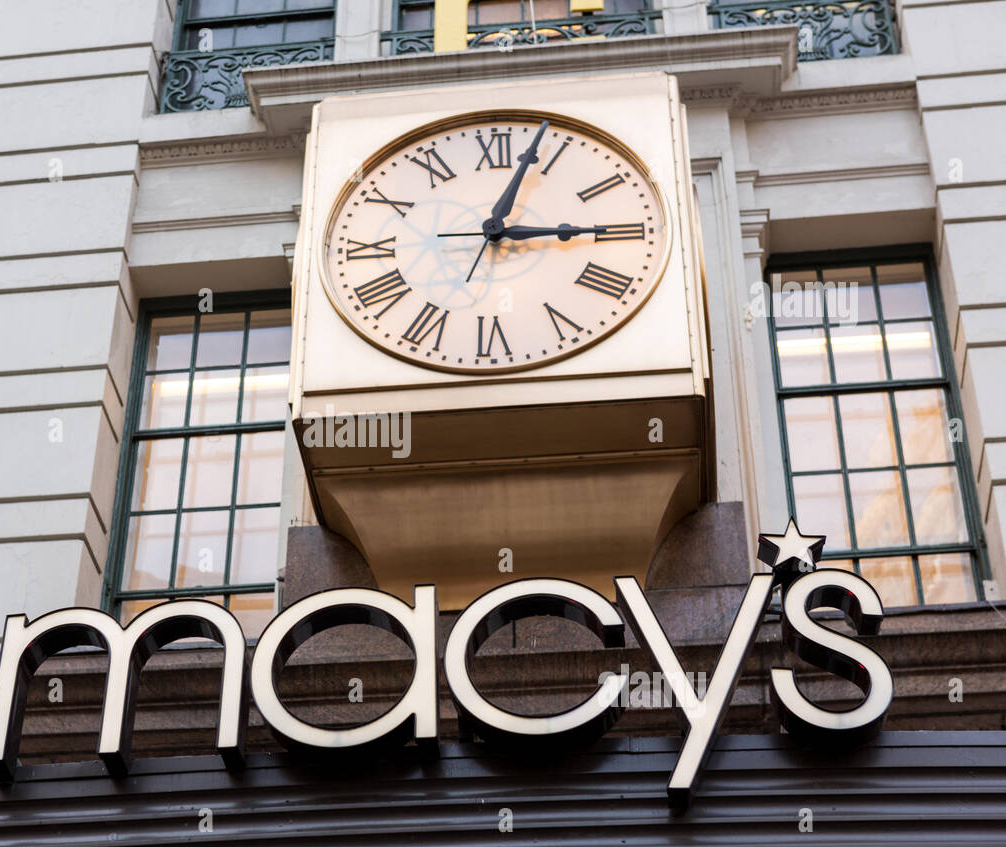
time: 3:03
